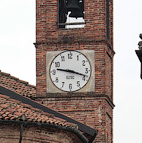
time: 9:18
